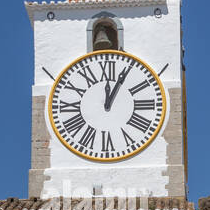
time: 12:04
